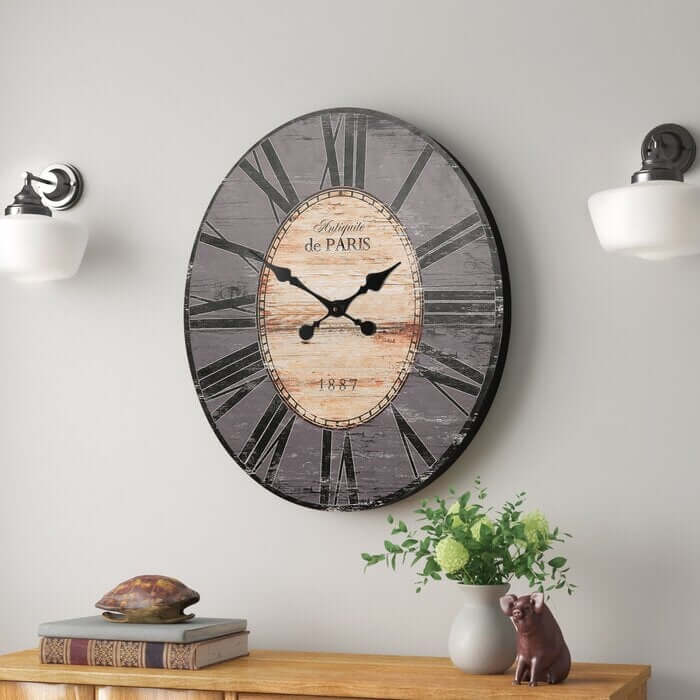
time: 1:50
